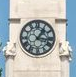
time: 1:16
